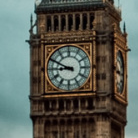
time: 8:49
